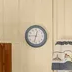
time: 12:32
